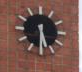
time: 5:30
